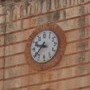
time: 9:38
